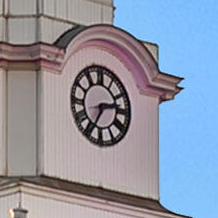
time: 2:34
